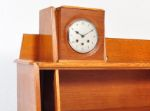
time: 10:10
